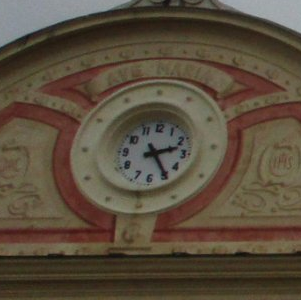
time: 2:24
